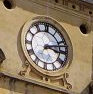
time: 3:11
